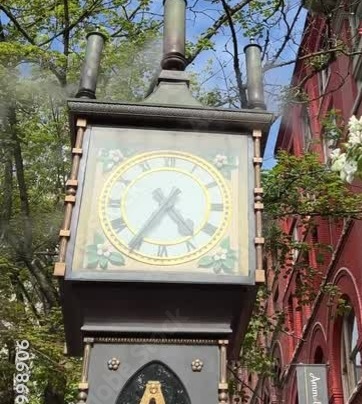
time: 4:35
